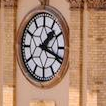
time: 1:18
